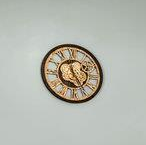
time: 11:24
